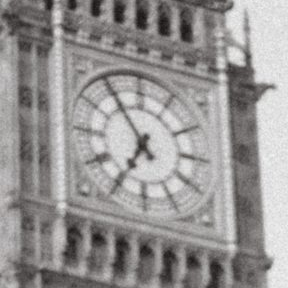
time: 6:54
